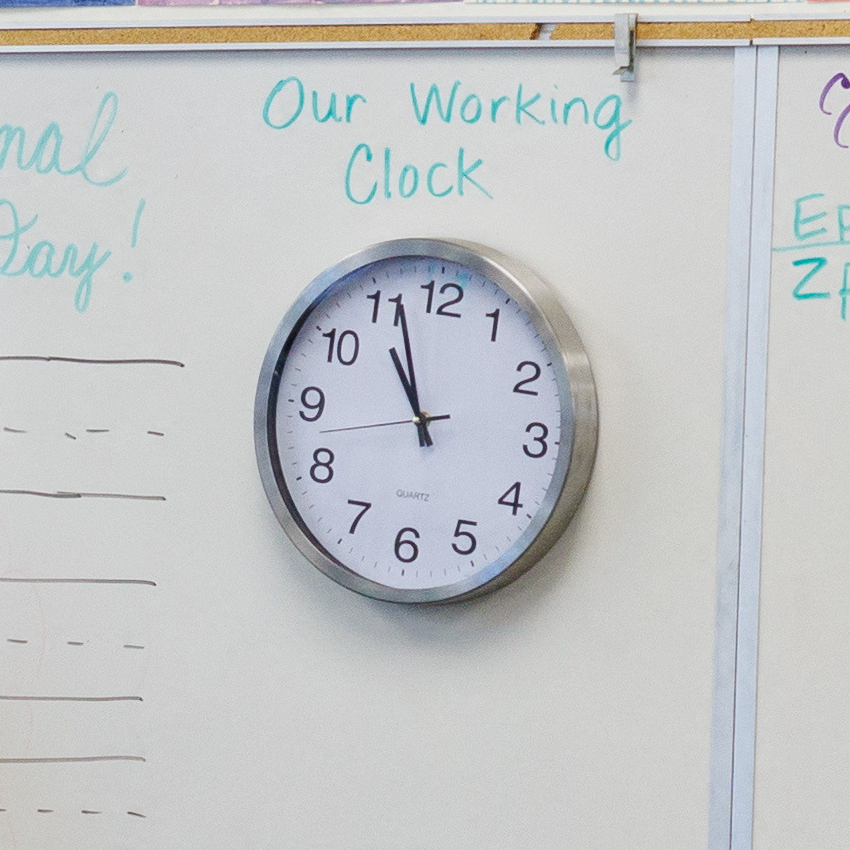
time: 10:56
